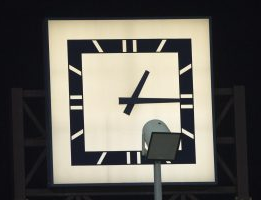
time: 1:14
